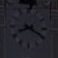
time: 8:19
